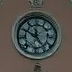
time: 11:50
